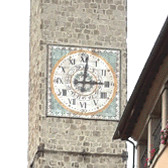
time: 3:01
